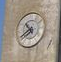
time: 10:39
